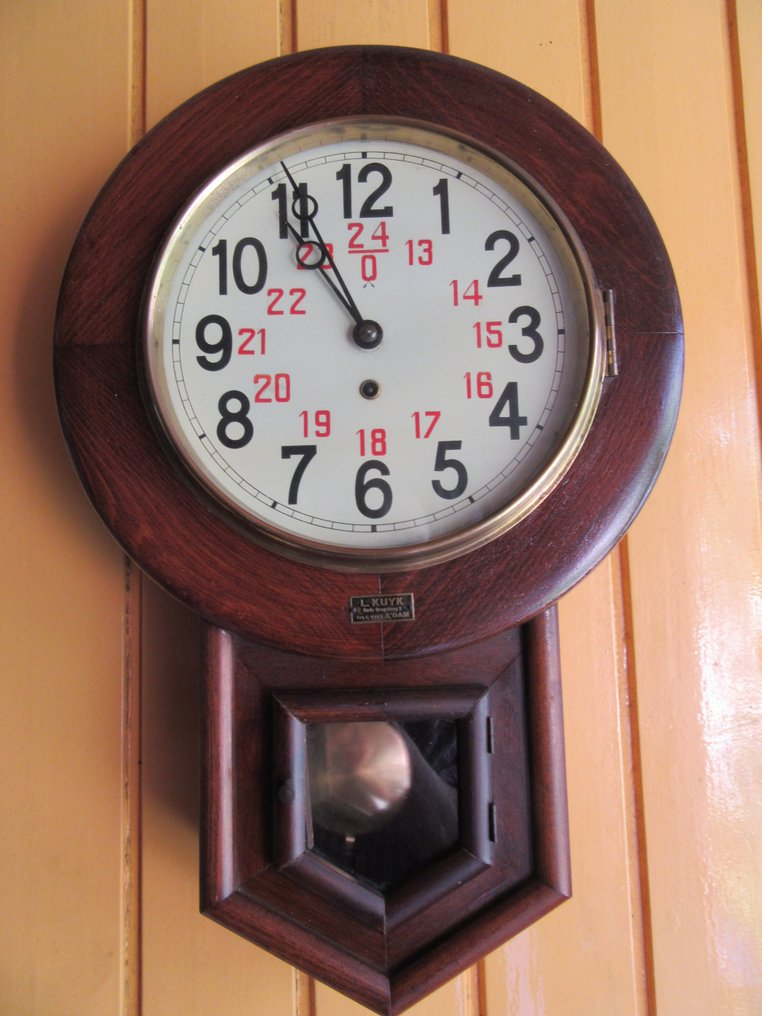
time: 10:55
